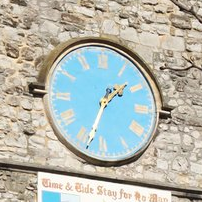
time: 1:33
